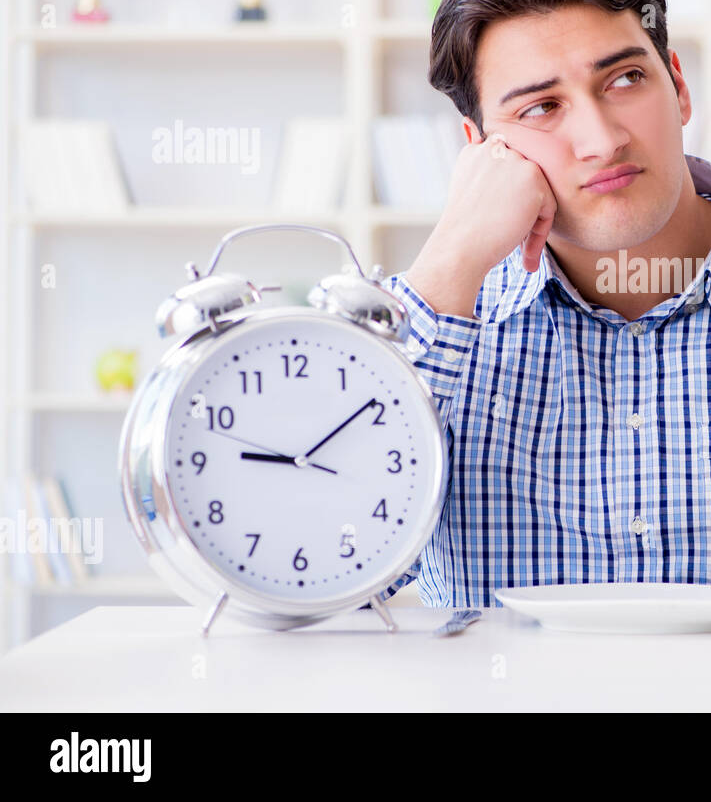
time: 9:09
